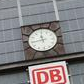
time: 11:43
